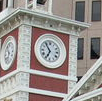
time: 6:54
